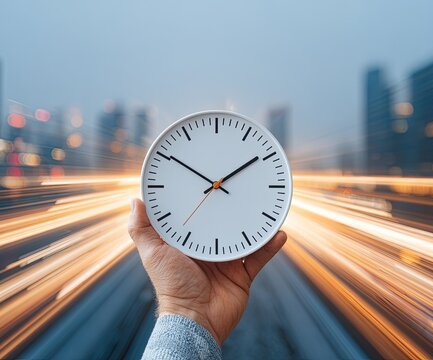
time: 1:50
